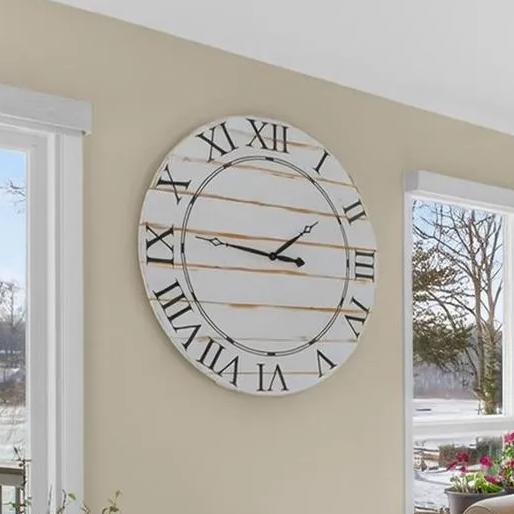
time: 1:46
